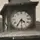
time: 4:35
